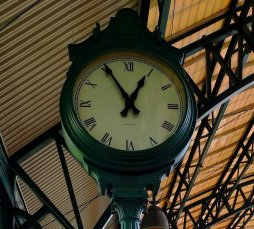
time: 12:55
